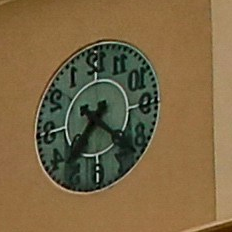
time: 7:22
